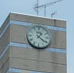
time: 1:21
